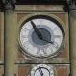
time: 3:55
